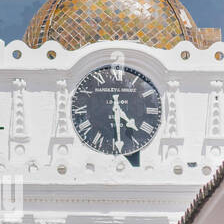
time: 4:29
